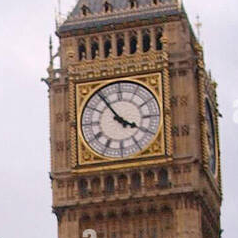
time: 3:54
